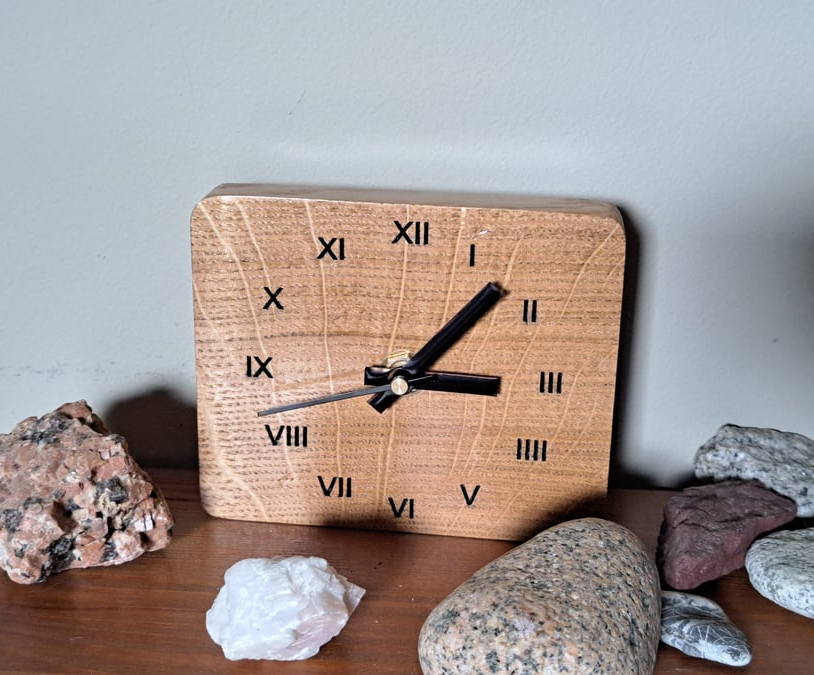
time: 3:07
